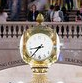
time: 8:37
